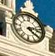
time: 4:12
